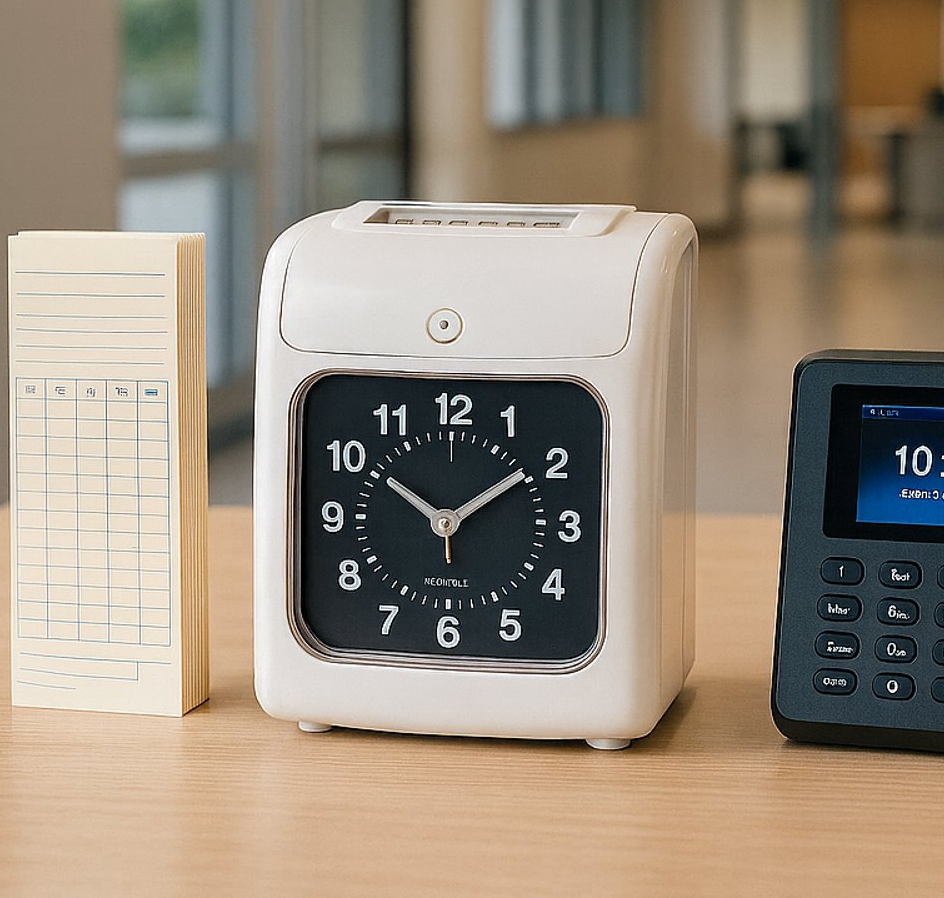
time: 1:50
